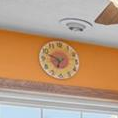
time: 6:48
